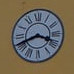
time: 3:41
